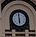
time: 5:59
